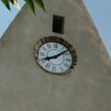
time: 8:08
